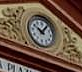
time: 10:06
